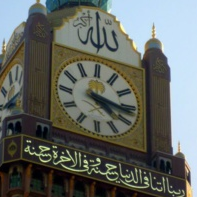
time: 4:16
